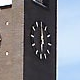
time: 5:59
